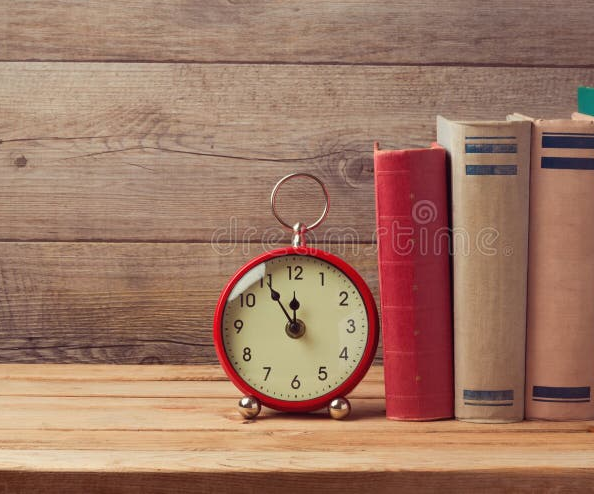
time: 11:54
